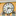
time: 7:15
